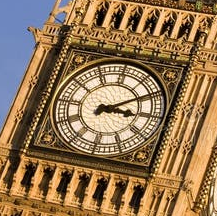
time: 3:09
